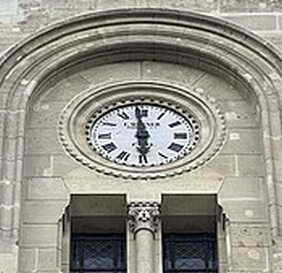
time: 5:58
